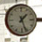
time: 1:26
